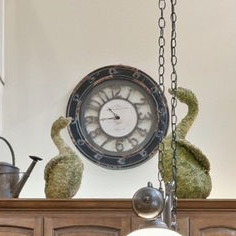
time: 10:43
